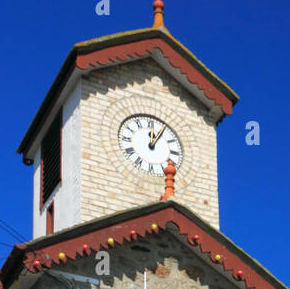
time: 12:05
